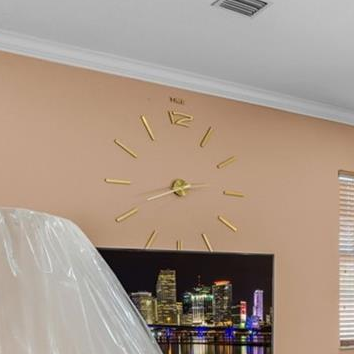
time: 2:42
